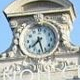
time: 7:27
